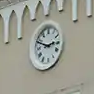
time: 2:48
